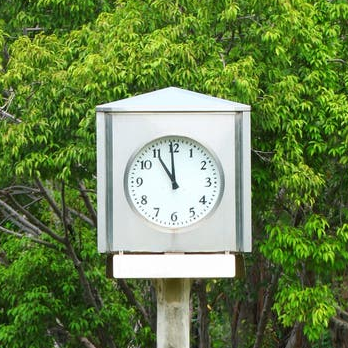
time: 10:59
